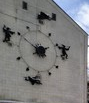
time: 1:50
